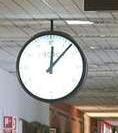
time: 12:07
